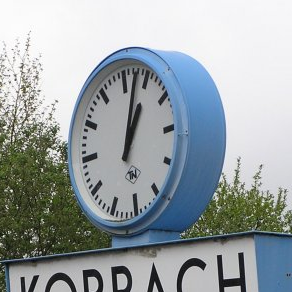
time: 1:02
